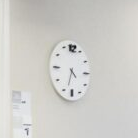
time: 4:32
